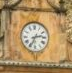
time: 2:34
